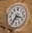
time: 3:35
